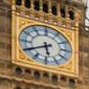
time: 5:40
